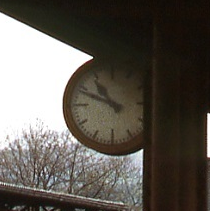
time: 10:48
